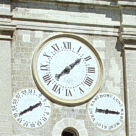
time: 1:37
